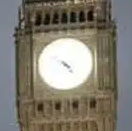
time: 4:22
